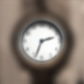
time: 2:33
